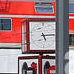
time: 5:14
